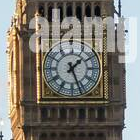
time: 1:26
